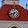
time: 6:41
